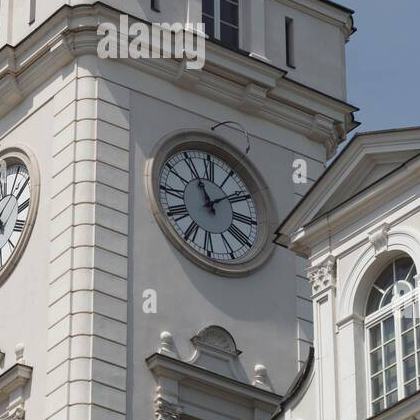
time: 11:08
